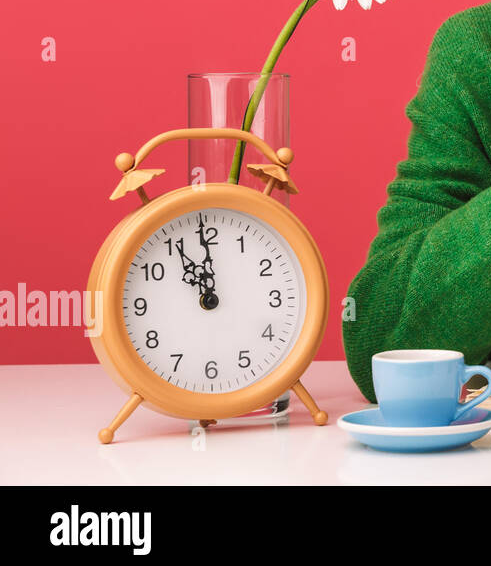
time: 10:59
